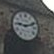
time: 9:11
